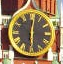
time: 6:01
